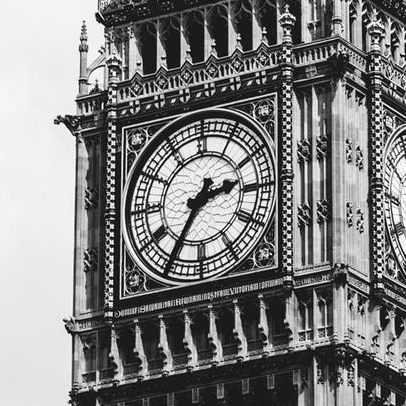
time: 2:35
